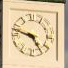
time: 4:48
